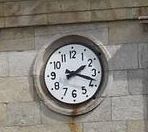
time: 2:18
